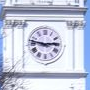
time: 2:46
